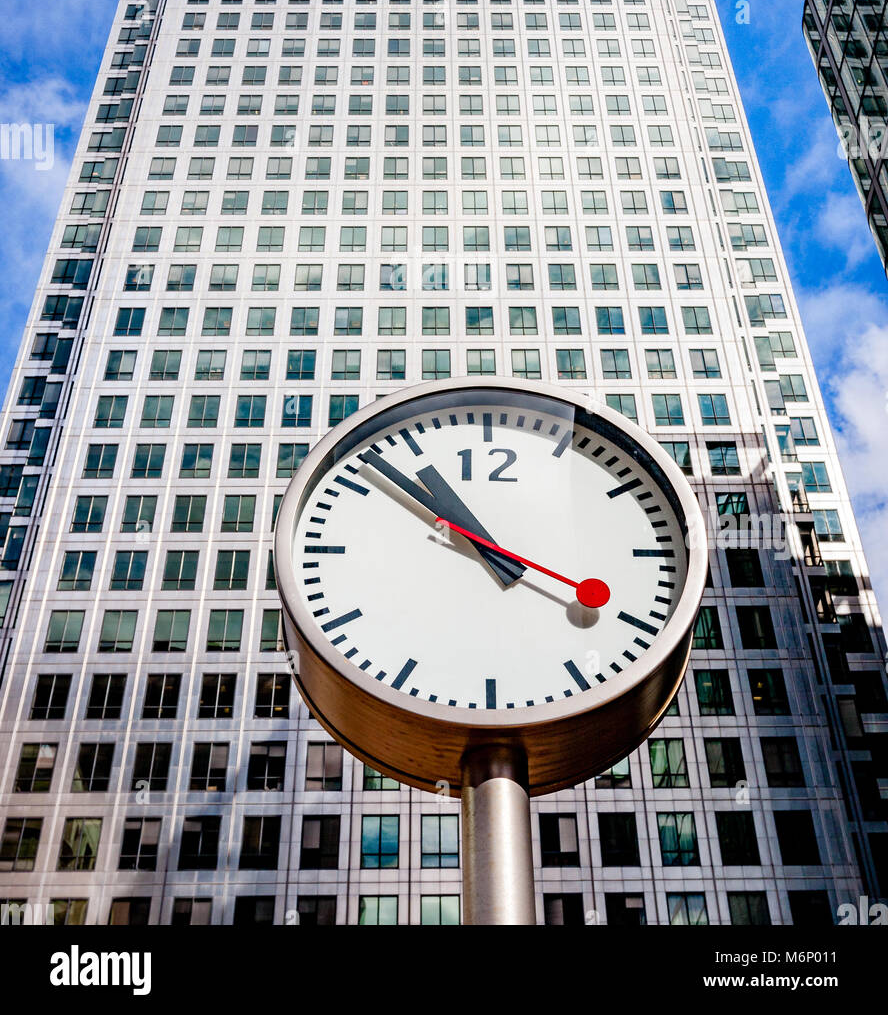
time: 10:52
